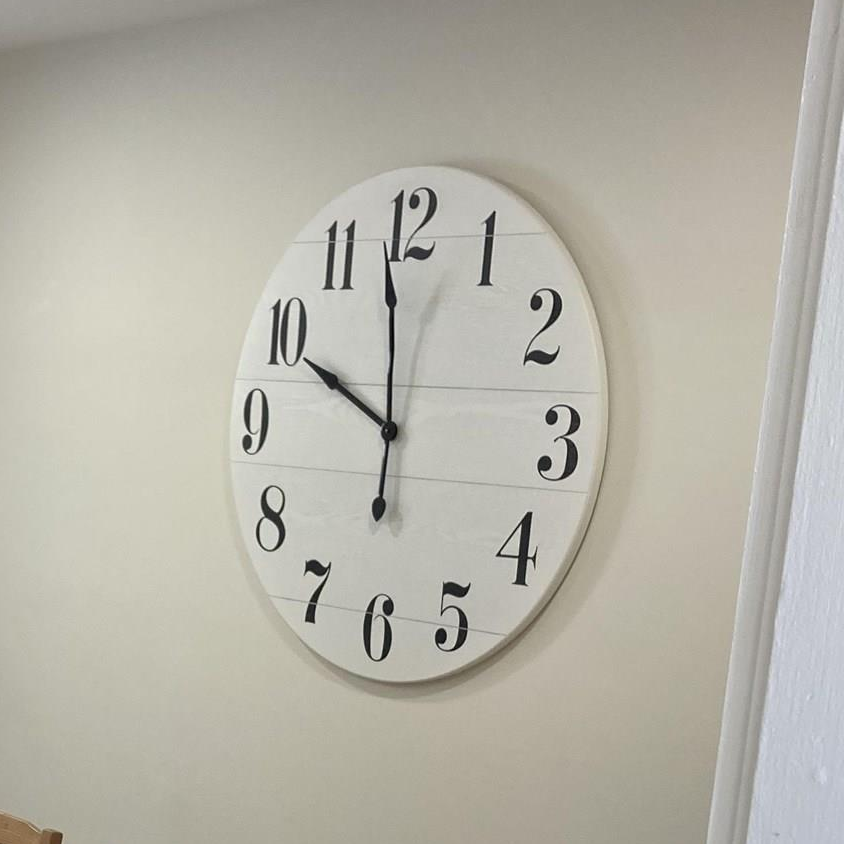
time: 9:58
